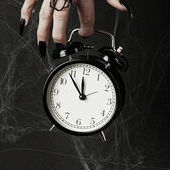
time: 11:53
